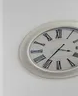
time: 3:36
